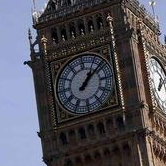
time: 1:08
